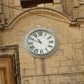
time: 10:48
